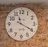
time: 11:19
